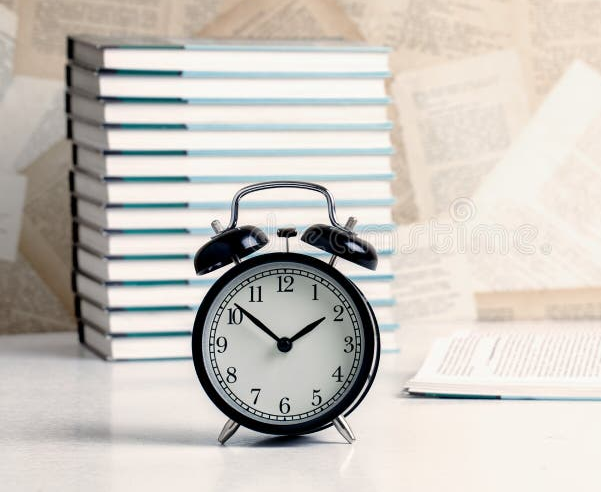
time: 1:51
